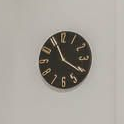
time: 11:20
